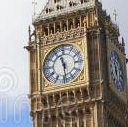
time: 11:29
